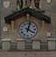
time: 4:02
